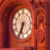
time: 6:34
